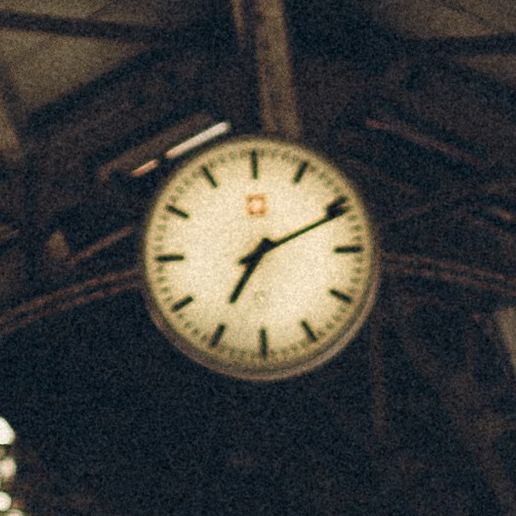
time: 7:10
